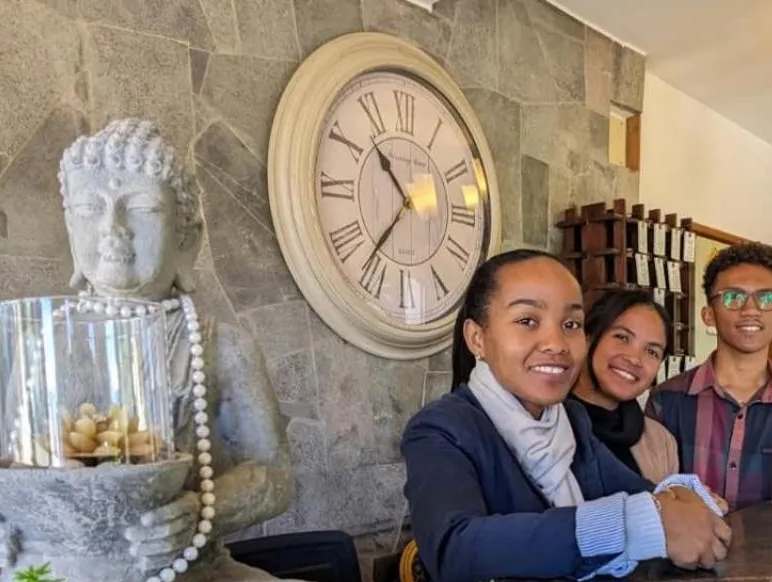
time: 10:36
